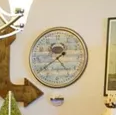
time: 4:39
